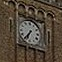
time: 6:36
